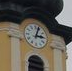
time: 3:03
